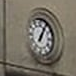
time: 1:05
